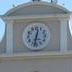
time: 12:32
